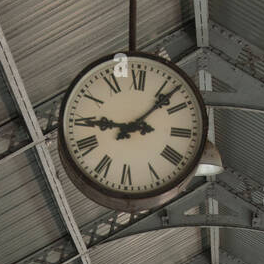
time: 9:07
